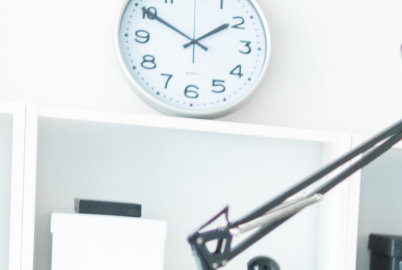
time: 1:50
